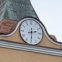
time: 2:29
